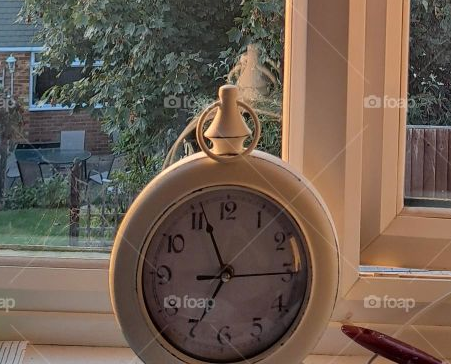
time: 6:56
